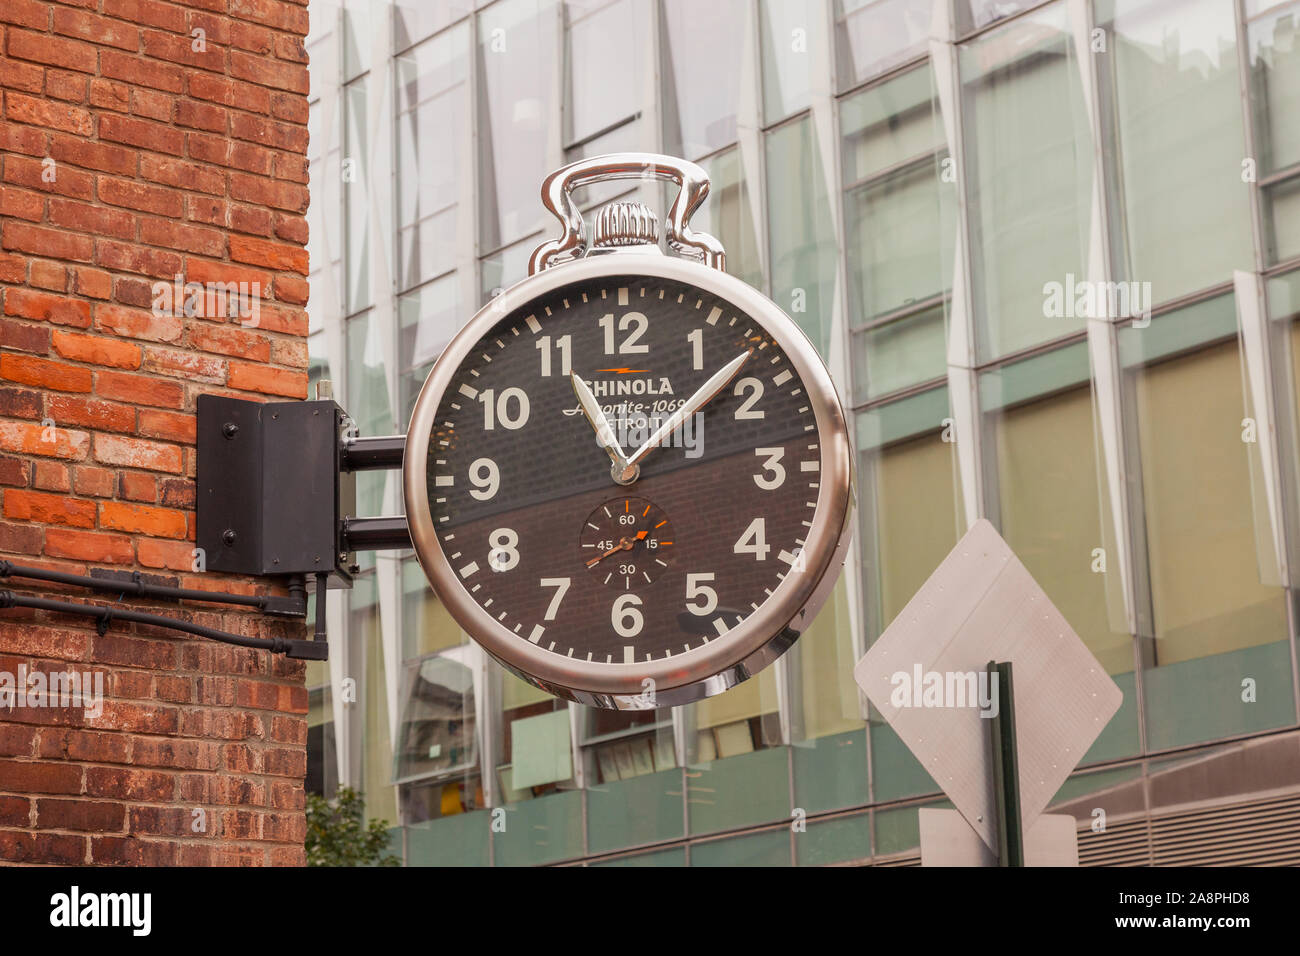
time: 11:08
